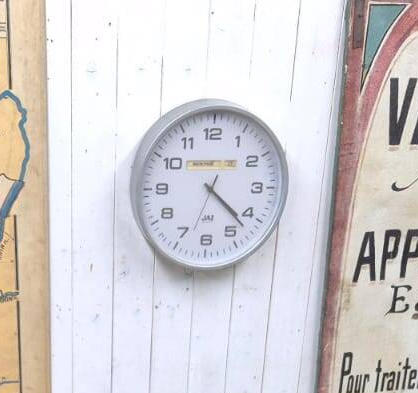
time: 4:22
